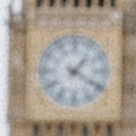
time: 1:20
